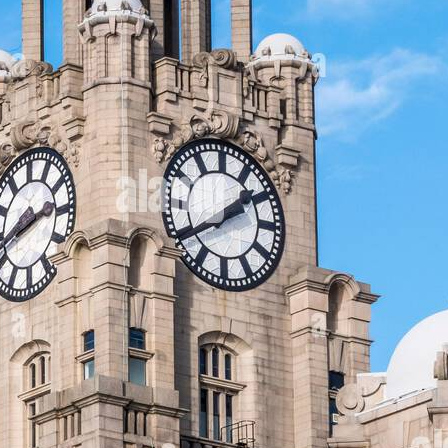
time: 1:40
